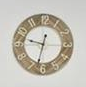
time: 9:32
